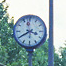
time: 3:40
